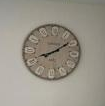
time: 8:09
